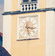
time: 3:27
